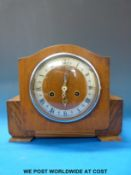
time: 6:01
